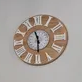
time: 11:29
